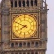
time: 7:49
